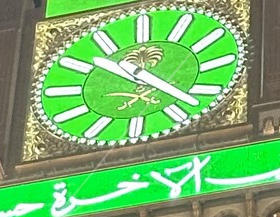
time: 10:22
